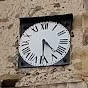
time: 4:29
